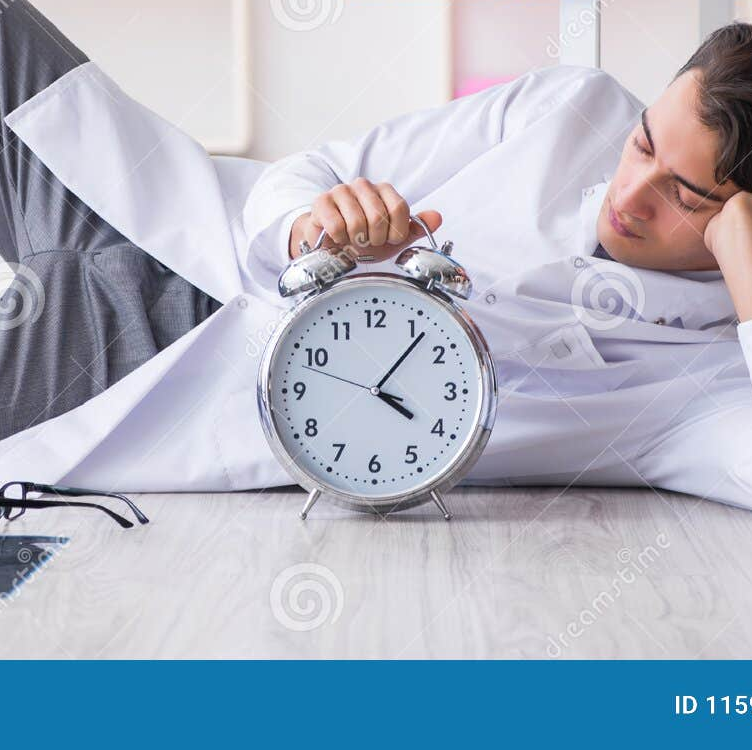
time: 4:06
